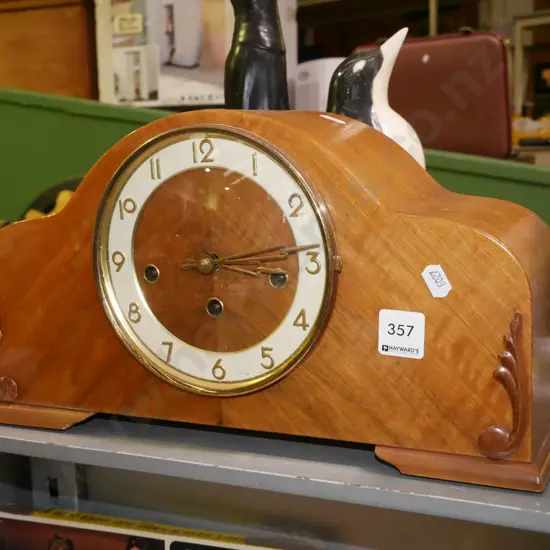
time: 3:13
